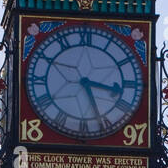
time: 3:26
